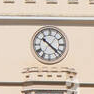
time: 10:21
